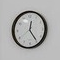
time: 12:24
